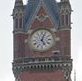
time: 5:03
